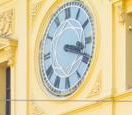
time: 3:18
